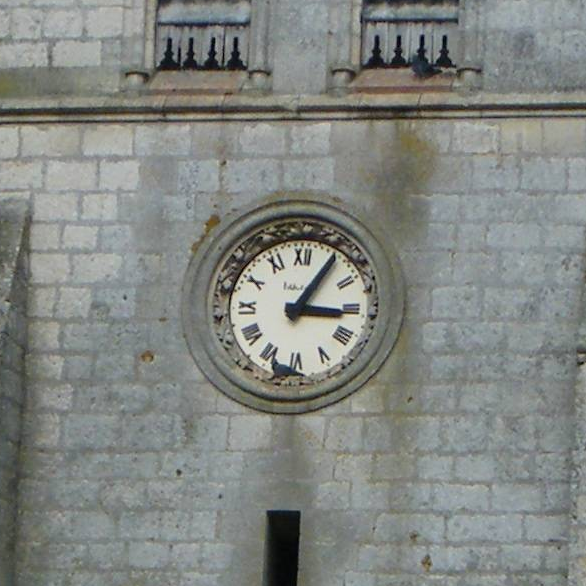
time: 3:05
